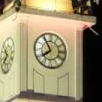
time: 7:54
